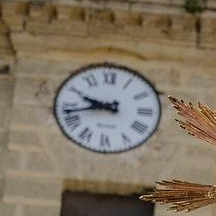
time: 9:42
